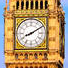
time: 8:09
